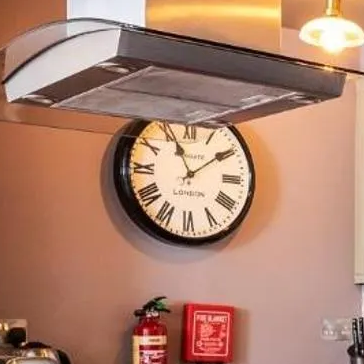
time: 1:56
